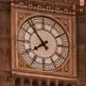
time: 7:52
